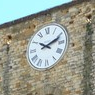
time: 10:11
